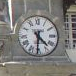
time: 4:30
